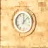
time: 12:07
